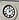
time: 2:01
